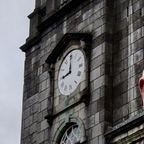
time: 9:01
